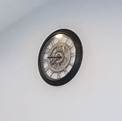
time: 7:46
